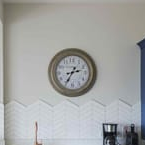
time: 2:35
